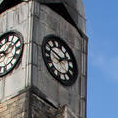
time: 1:50
